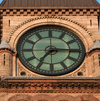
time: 7:15
